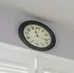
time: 11:17
